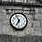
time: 6:56
